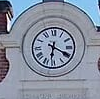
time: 6:19
